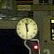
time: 11:30
